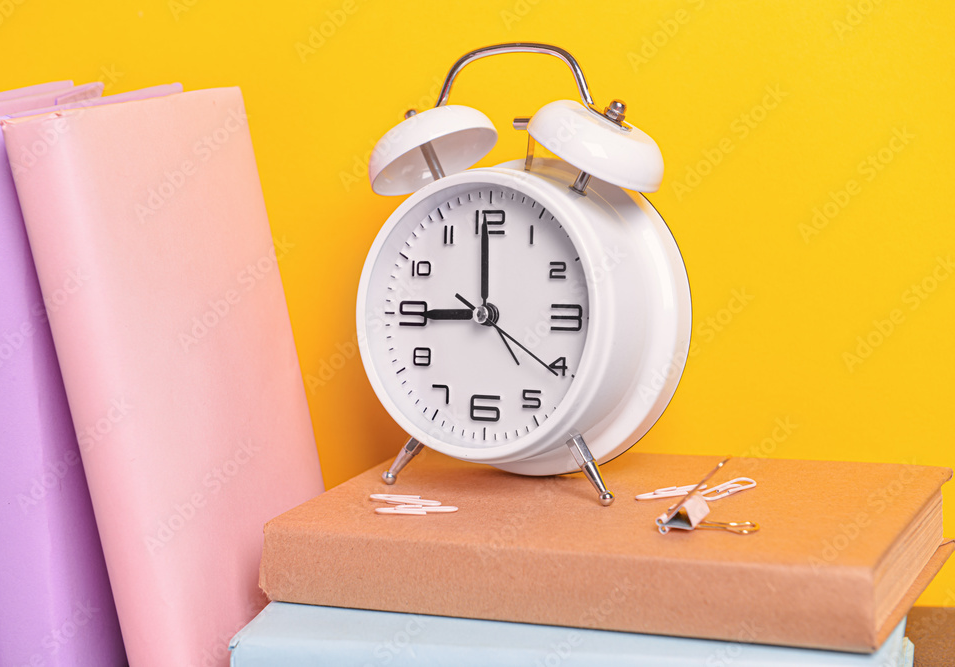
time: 8:59
